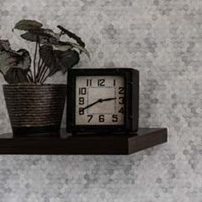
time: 2:40
